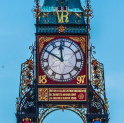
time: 11:49
